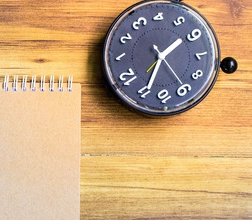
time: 1:34
